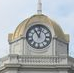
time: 11:02
